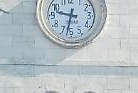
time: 9:32
